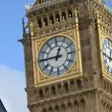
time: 12:45
